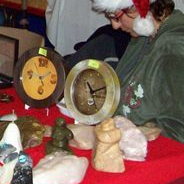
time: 11:12
